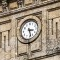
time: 3:27
